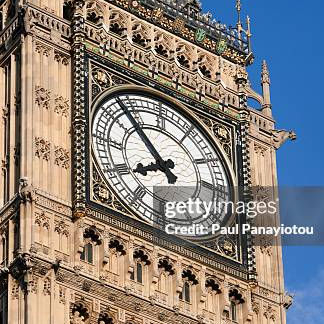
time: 7:53
